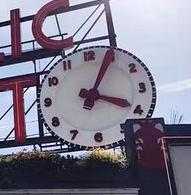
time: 4:04
